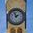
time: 1:56
